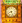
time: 8:26
